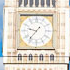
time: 9:36
